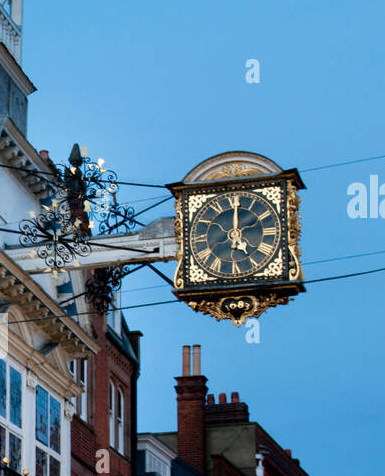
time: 5:00
